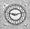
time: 9:12
